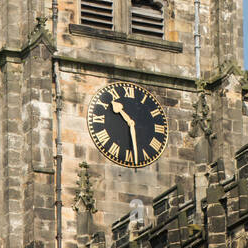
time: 10:28
